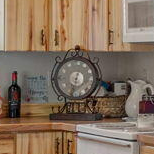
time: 6:32
